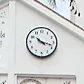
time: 10:17
